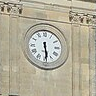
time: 5:29
